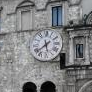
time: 5:38
